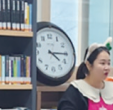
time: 4:15
